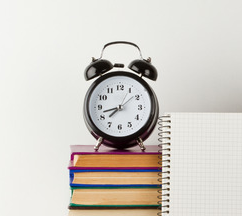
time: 7:42
